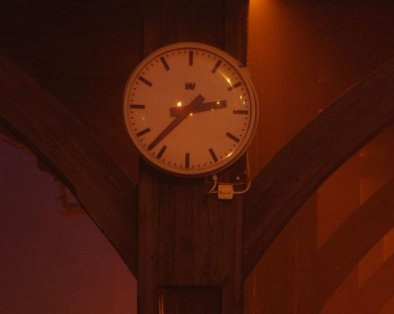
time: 2:37
